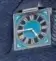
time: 4:42
